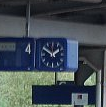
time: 1:50
